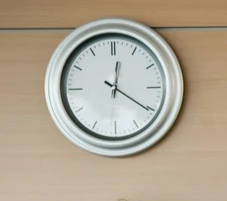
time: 12:20
